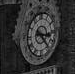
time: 3:22
